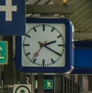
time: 2:19
